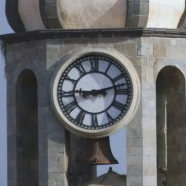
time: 9:12
